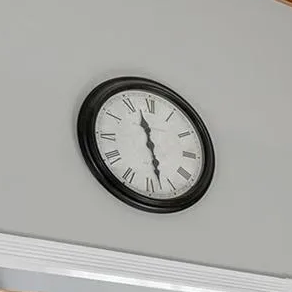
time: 11:27
